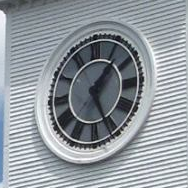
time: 1:25
